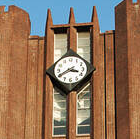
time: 3:40
